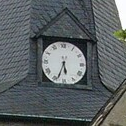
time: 5:33
